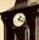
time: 1:18
